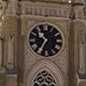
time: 10:35
